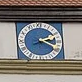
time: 2:18
